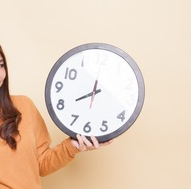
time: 7:59
